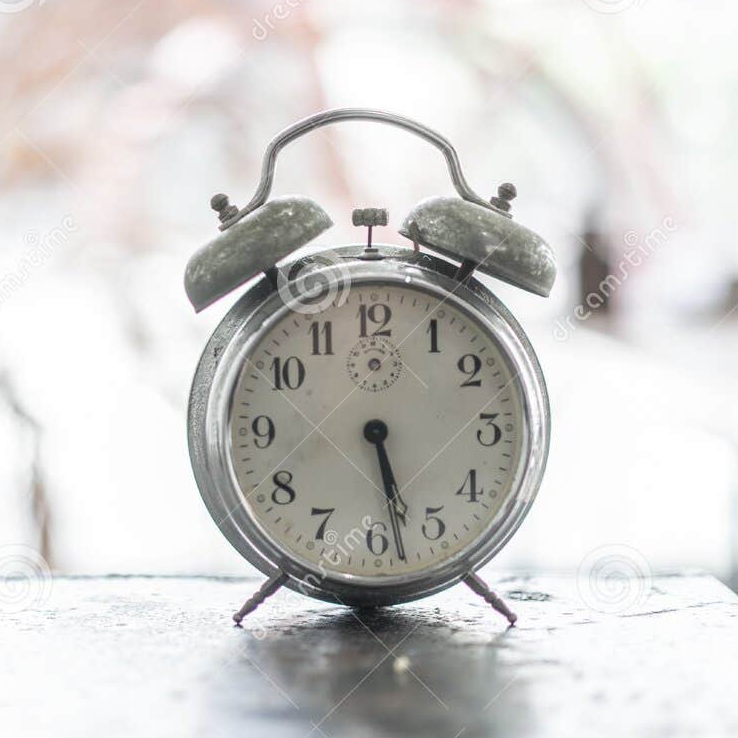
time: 5:28
